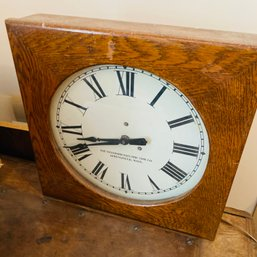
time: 8:42
